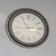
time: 10:44
